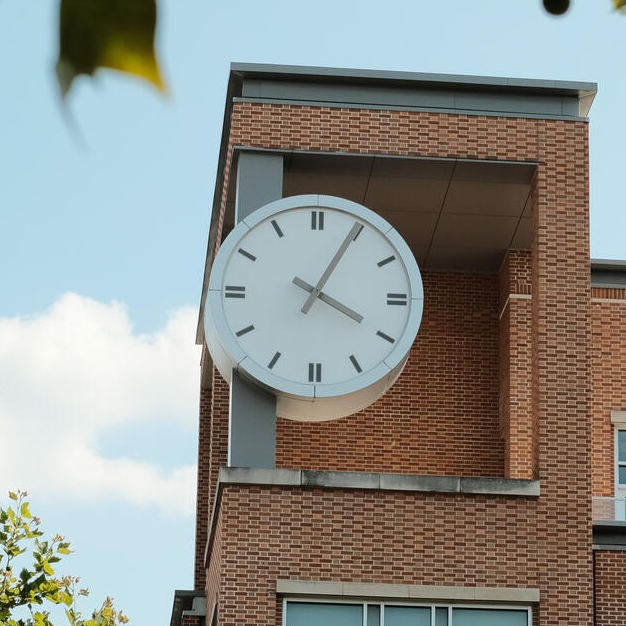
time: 4:04
